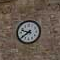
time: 9:39
